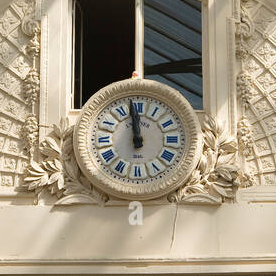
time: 11:58
